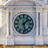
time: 1:28
